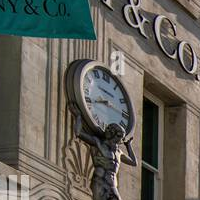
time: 8:16
